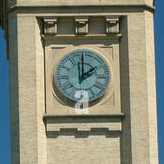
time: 2:00
